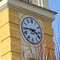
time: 3:44
